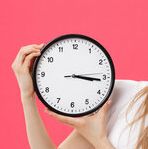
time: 3:15
